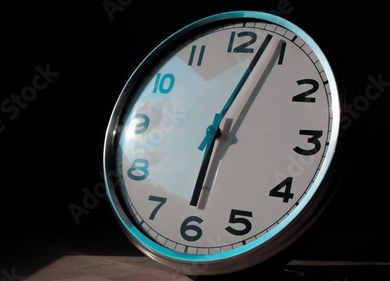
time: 6:03
